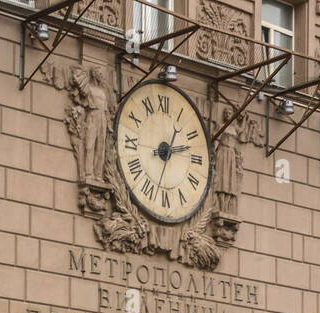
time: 1:12
